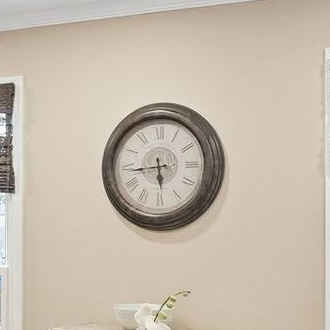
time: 5:44
